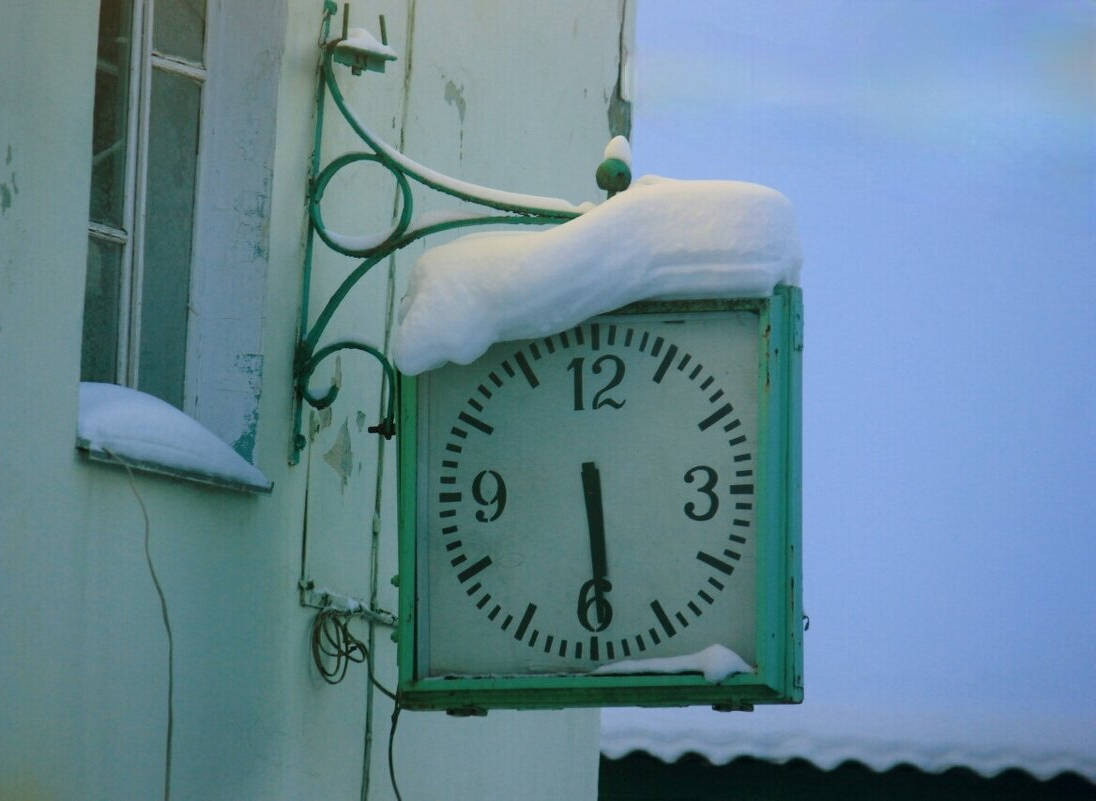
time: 5:29
